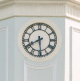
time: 5:40
